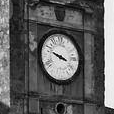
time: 3:48
